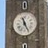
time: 11:25
